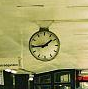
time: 1:44
